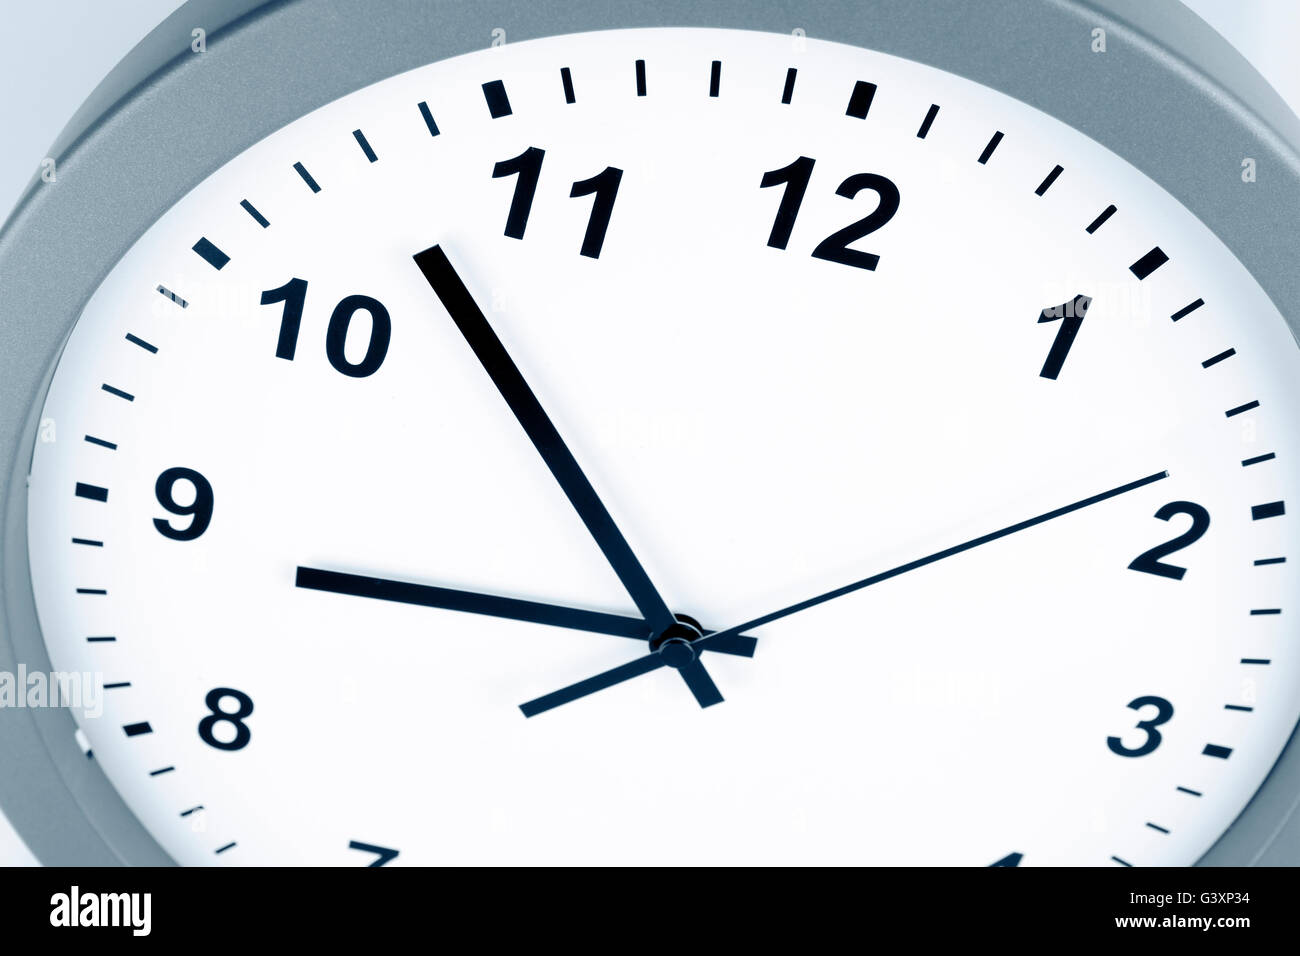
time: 8:52
